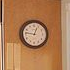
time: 12:46
